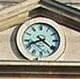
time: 8:21
